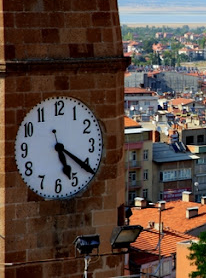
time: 5:20
